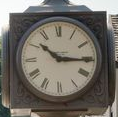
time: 10:15
